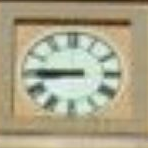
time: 8:45
